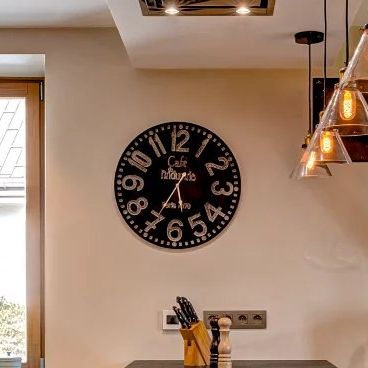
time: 5:34
